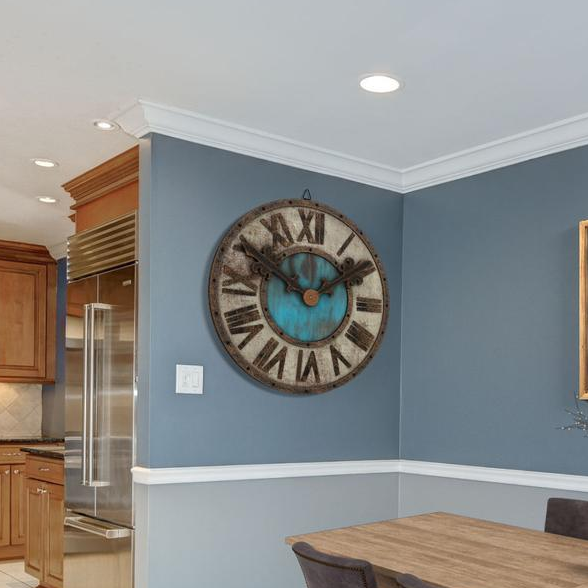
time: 1:50
